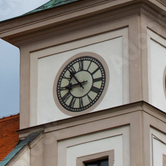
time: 8:53
